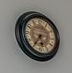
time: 5:36
